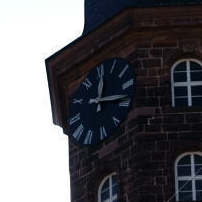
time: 12:18
